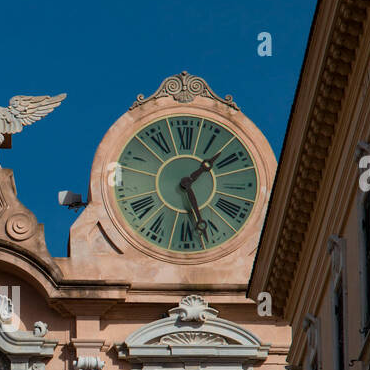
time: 1:26
